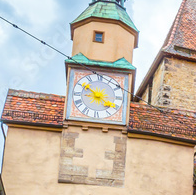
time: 3:50
